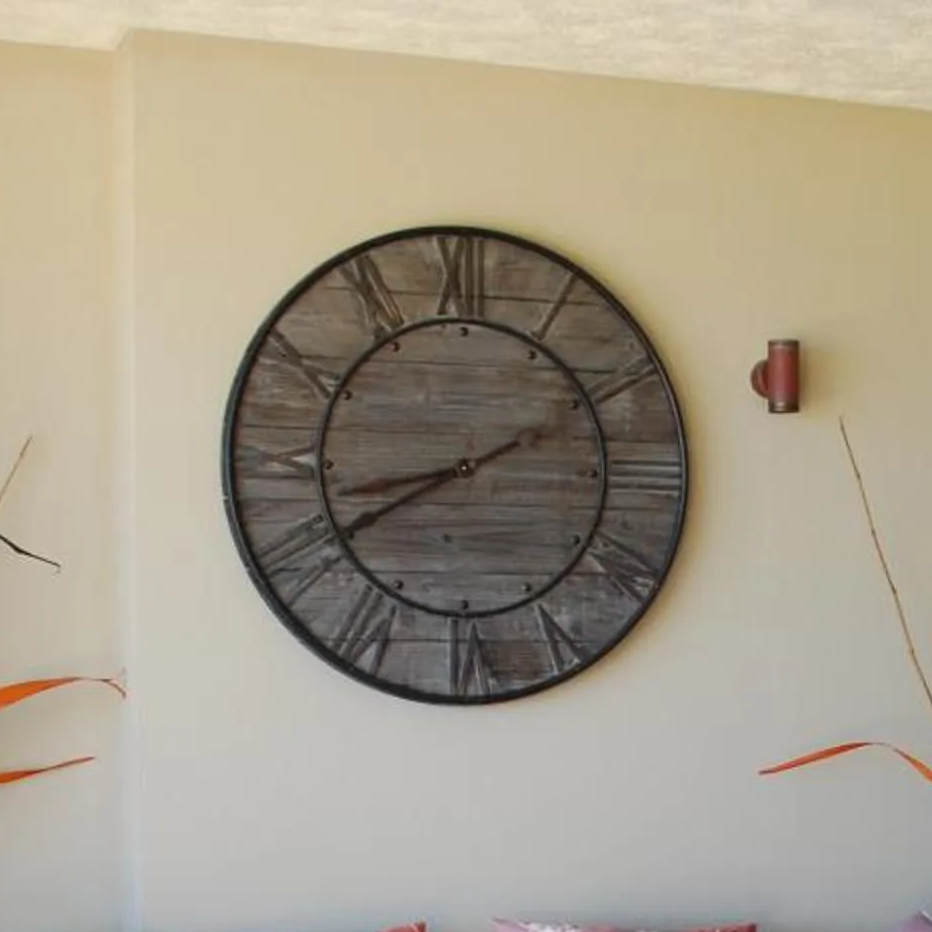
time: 8:40
